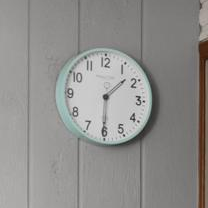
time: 1:30
